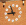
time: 8:56
